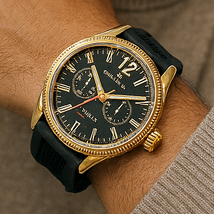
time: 11:14
